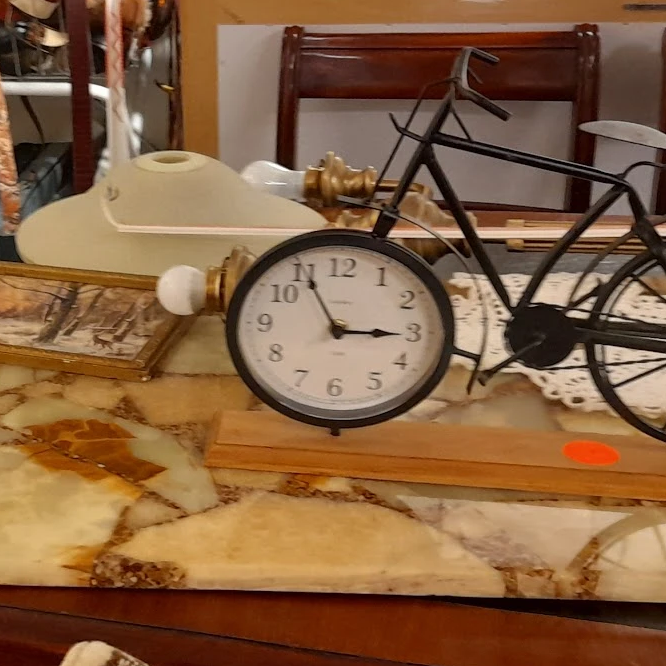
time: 2:55
